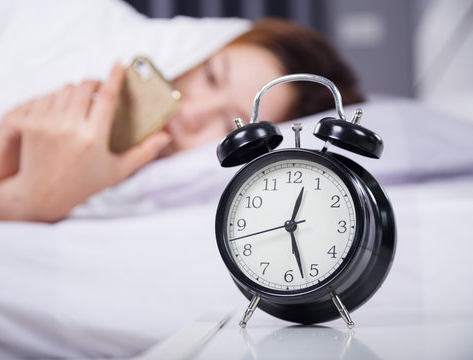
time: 12:27
